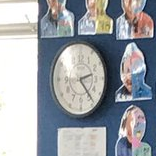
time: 2:23
